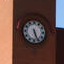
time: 5:26
